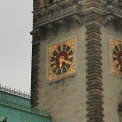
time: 6:19
